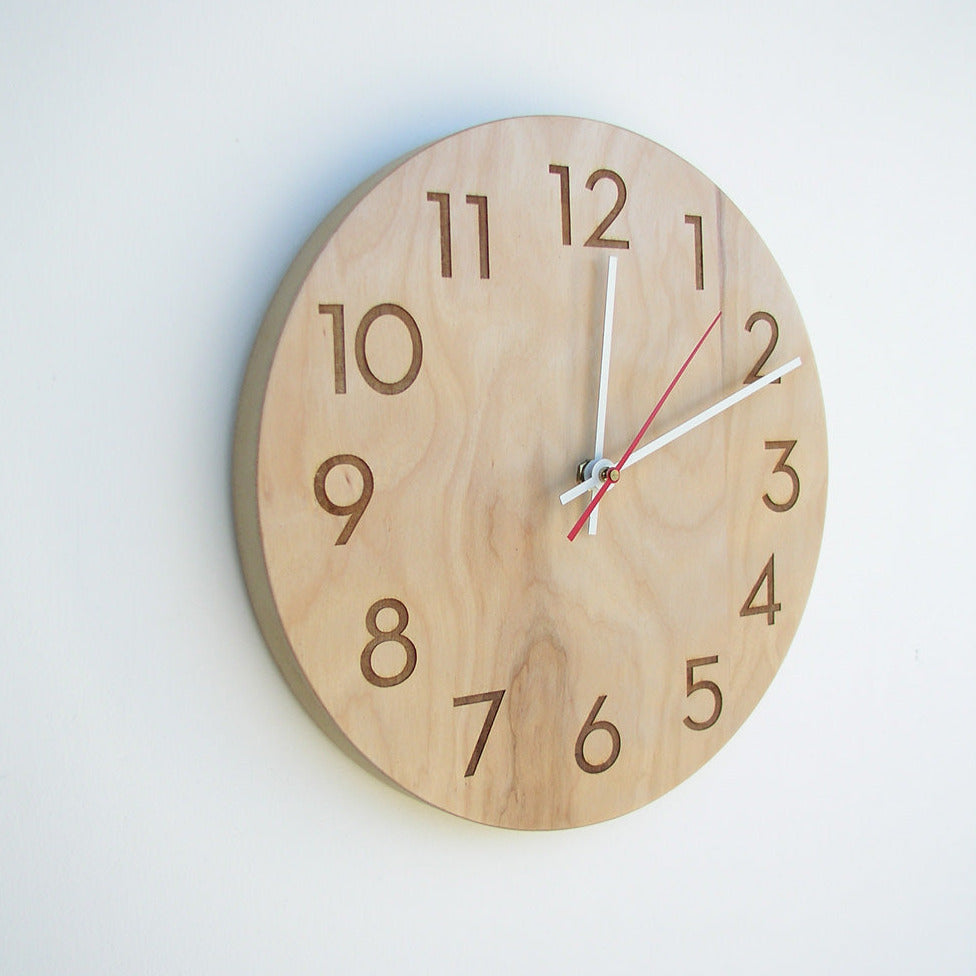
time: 12:11
